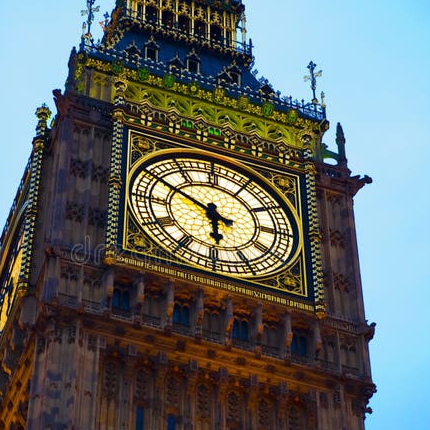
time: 5:49
